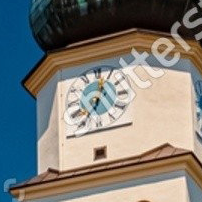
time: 4:35
